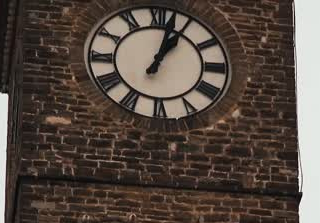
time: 1:02
